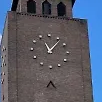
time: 11:06
